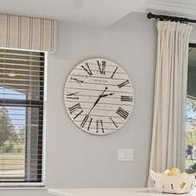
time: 2:35
